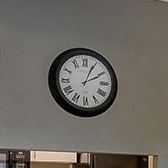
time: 2:04
